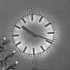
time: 10:18
